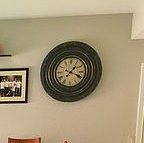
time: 1:18
